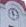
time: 11:32
